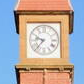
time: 9:37
